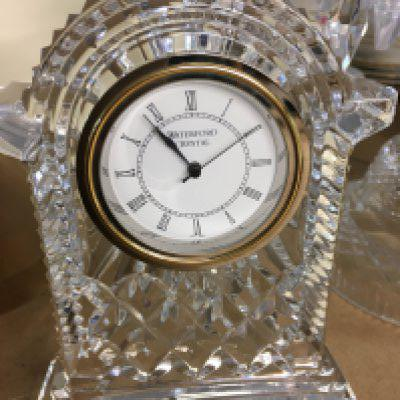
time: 10:53
